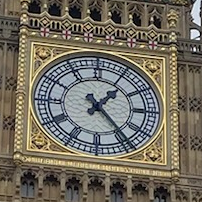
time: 1:23
